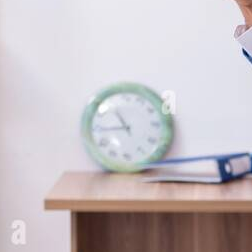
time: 10:44
